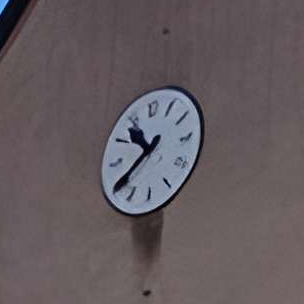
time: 10:39
